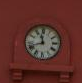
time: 11:41
